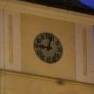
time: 9:02
